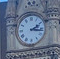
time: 2:16
